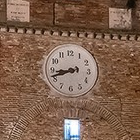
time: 8:41
